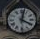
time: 4:02
